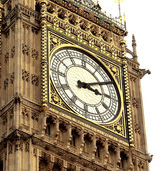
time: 3:09
